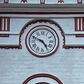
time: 4:49
